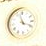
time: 11:18
